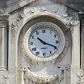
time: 10:19
